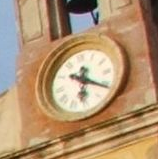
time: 6:21
